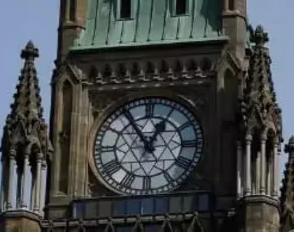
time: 12:54
